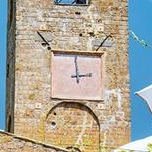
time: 2:59
